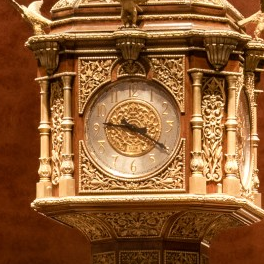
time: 9:20
